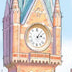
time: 2:06
